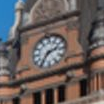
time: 2:36
